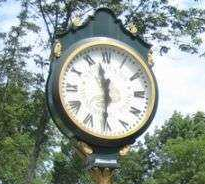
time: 11:30
